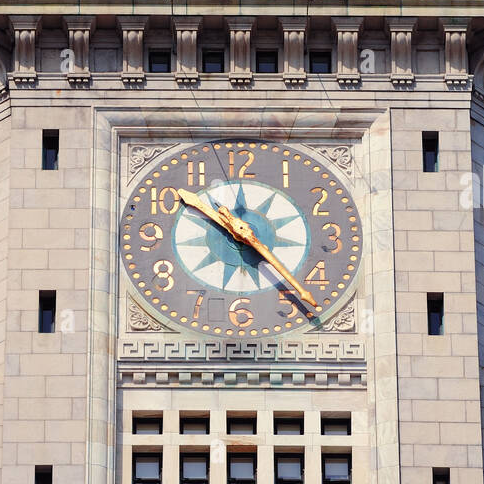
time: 4:50
